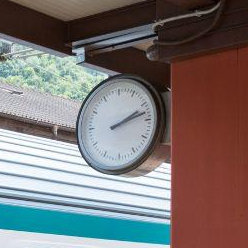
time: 2:12
